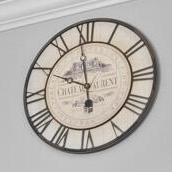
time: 9:58
